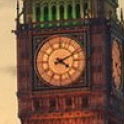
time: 4:10
